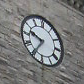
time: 9:34
